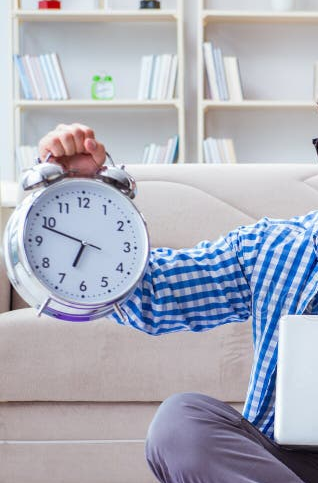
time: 6:48
